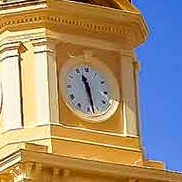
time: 11:28
